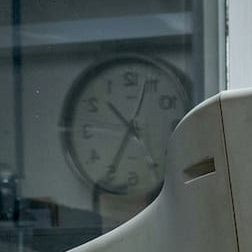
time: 10:35
